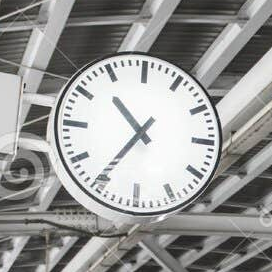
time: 10:36
